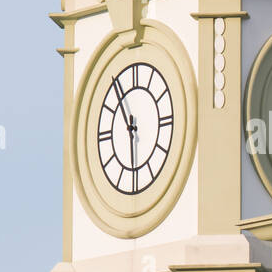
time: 5:54
